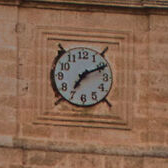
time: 7:10
